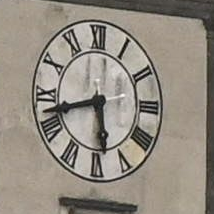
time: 5:42
